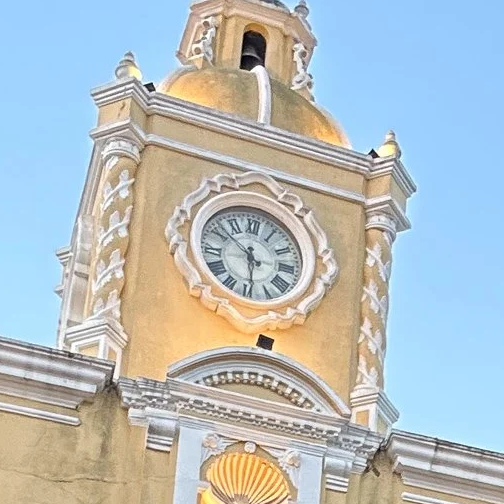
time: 5:51
